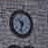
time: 10:32
